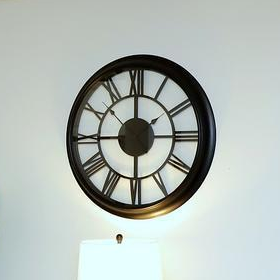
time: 5:59
